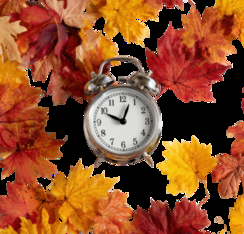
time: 10:03
